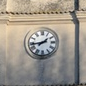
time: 1:43
